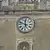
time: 11:48
